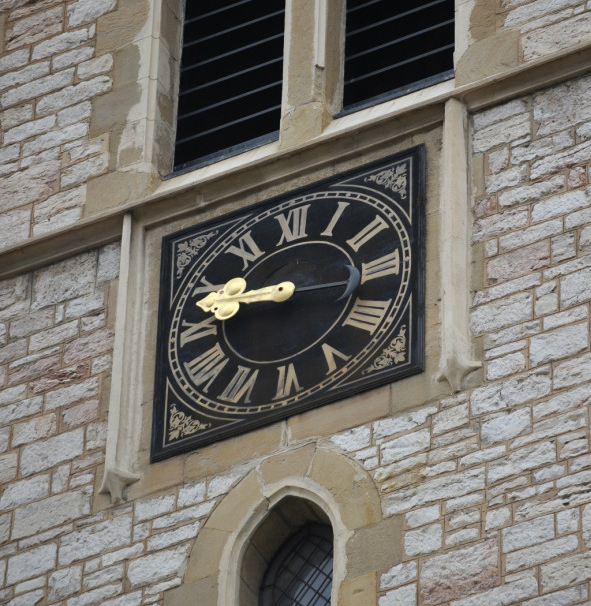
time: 9:47
